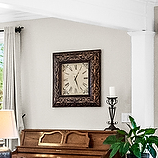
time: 5:05
